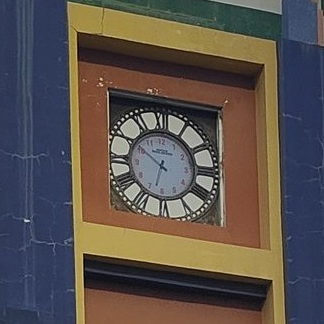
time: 6:50
